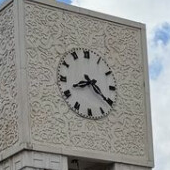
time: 8:21
